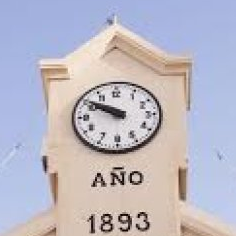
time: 9:50
